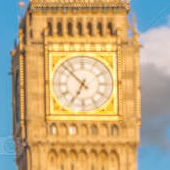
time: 6:52
